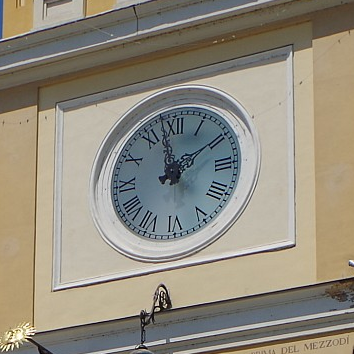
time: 1:57
